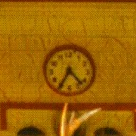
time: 4:35
